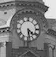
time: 4:28
